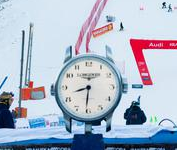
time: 8:30
